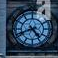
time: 4:41
